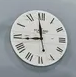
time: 11:43
